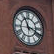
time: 11:18
